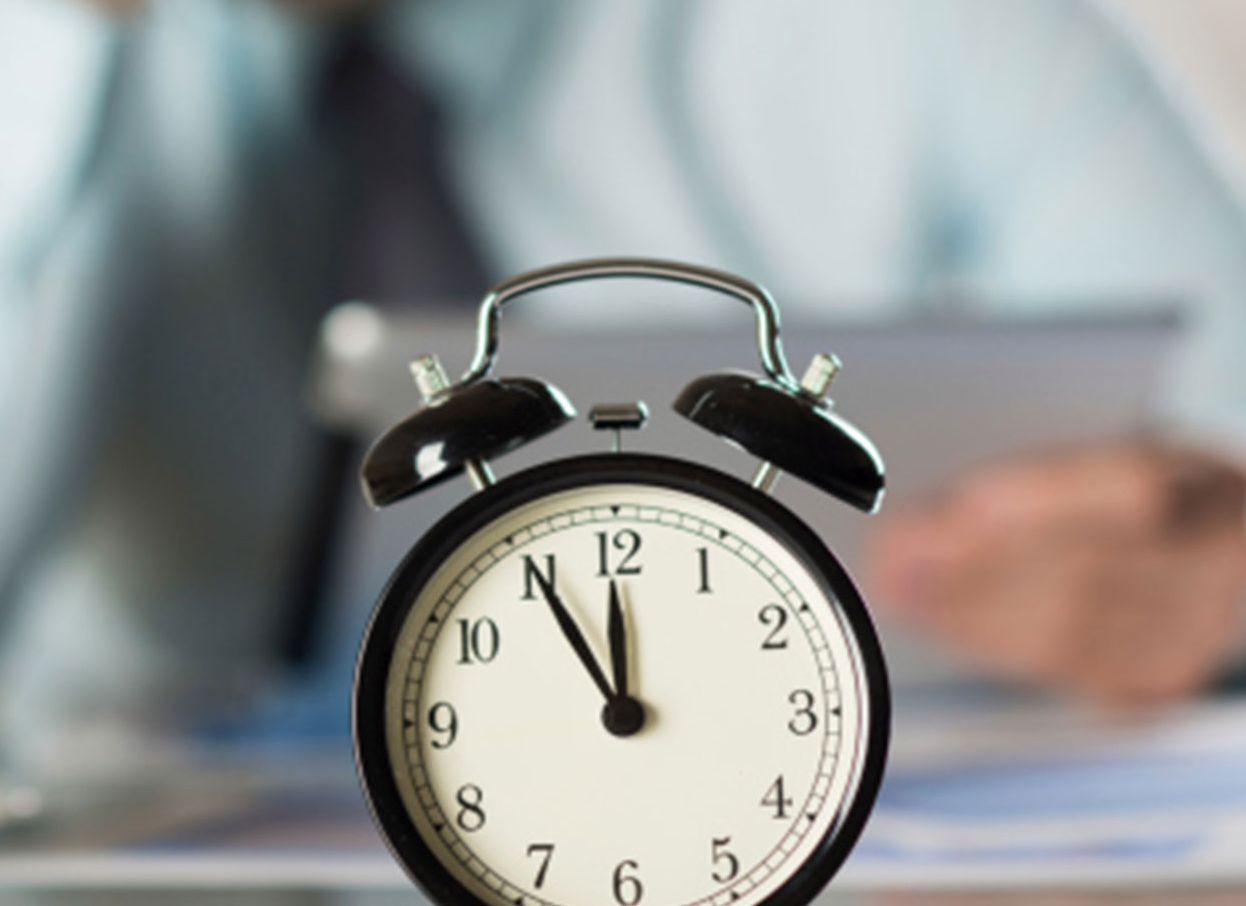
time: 11:55
